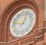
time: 12:47
